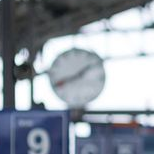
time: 1:41
